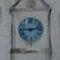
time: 9:12
